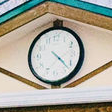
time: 4:22
